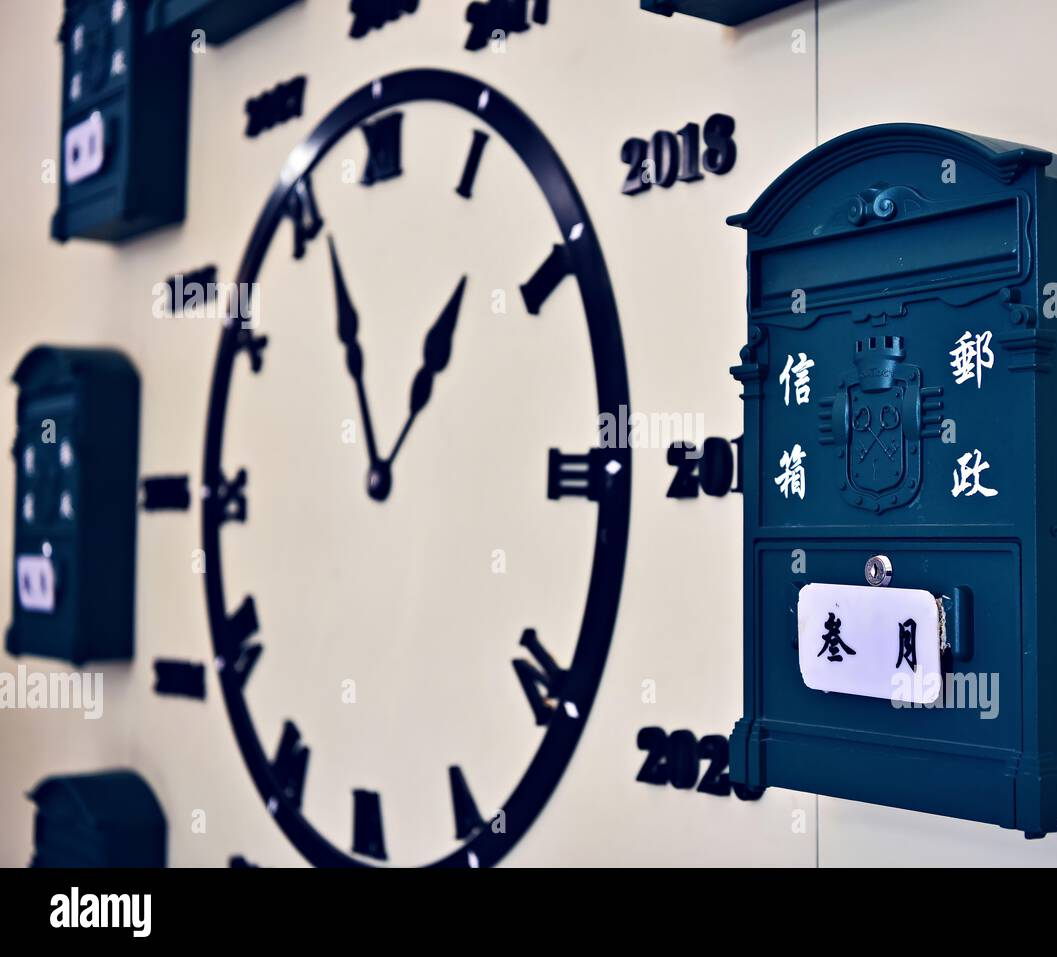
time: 12:55
